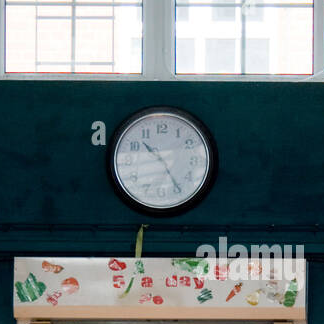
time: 10:24
